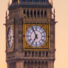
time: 6:56
